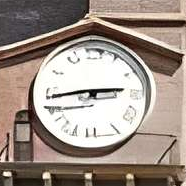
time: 2:44
